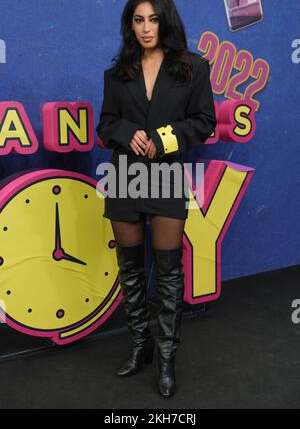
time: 4:00
